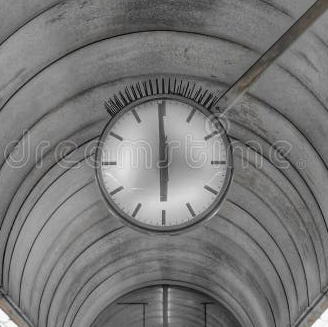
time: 5:59
